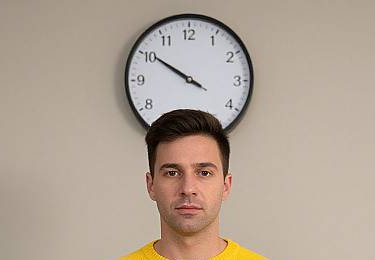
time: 9:50
